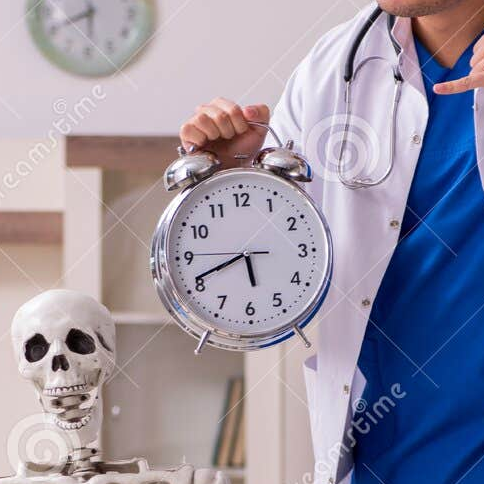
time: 5:41
